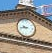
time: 9:43
